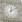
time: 12:09
